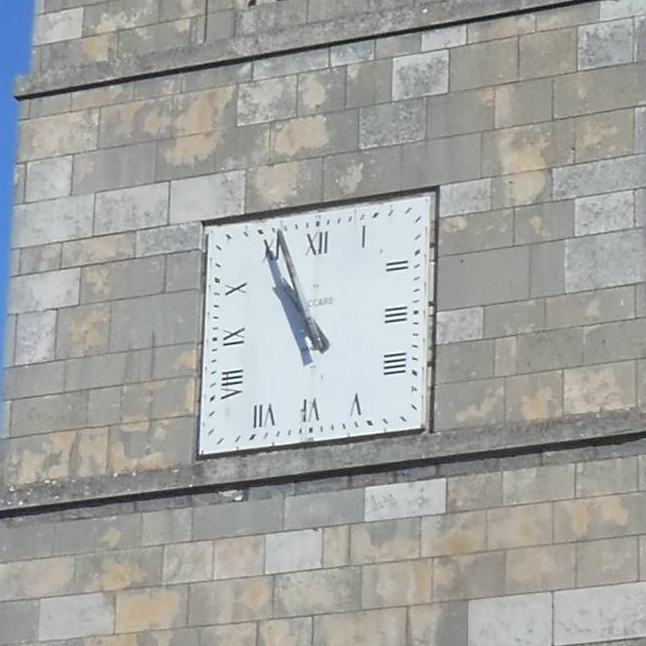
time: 10:56
